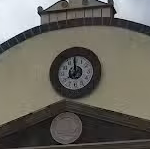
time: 7:59
